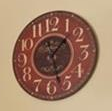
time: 1:27
